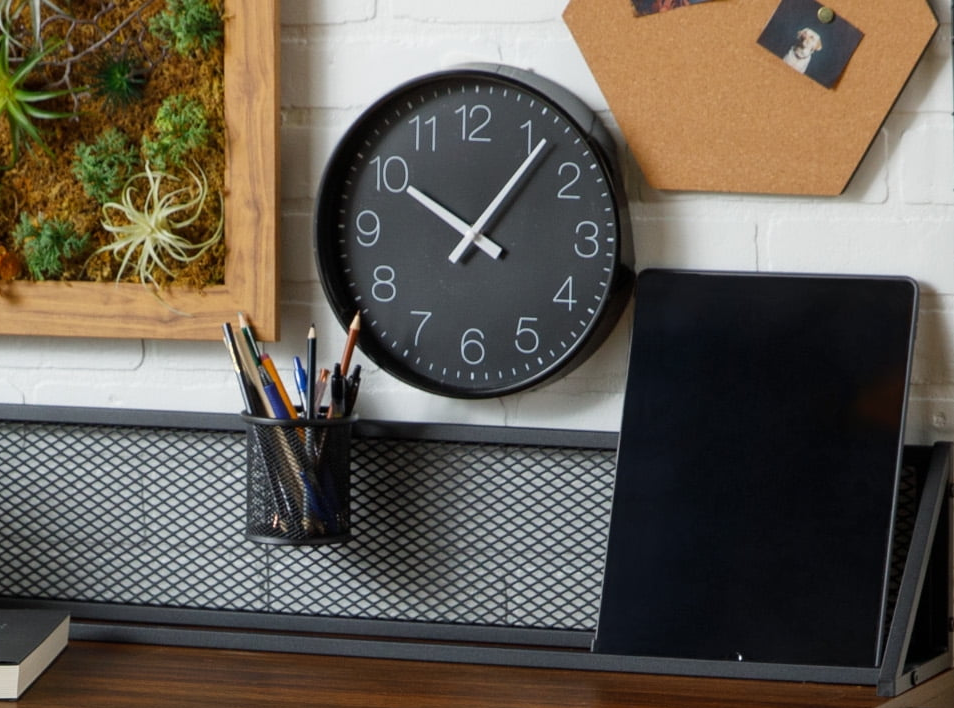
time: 10:06
